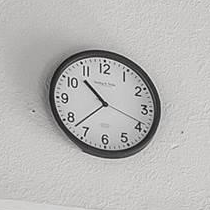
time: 10:37
